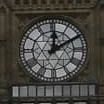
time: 12:09
